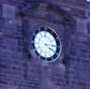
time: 4:14
